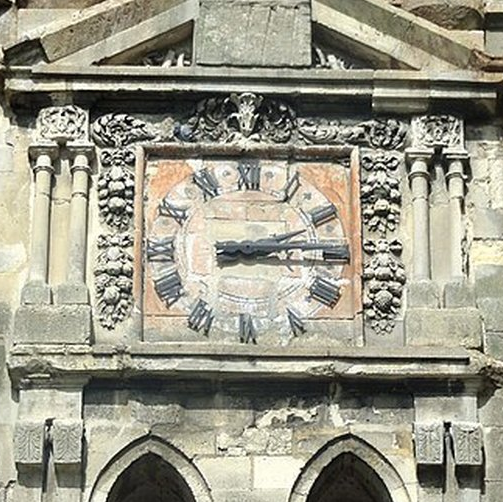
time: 2:14
